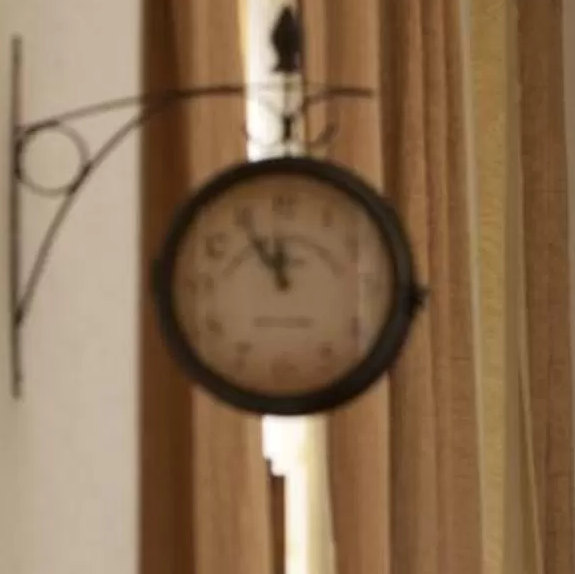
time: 11:54
